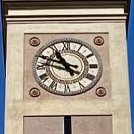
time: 10:48
